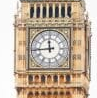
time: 11:44
